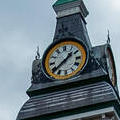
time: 1:38
